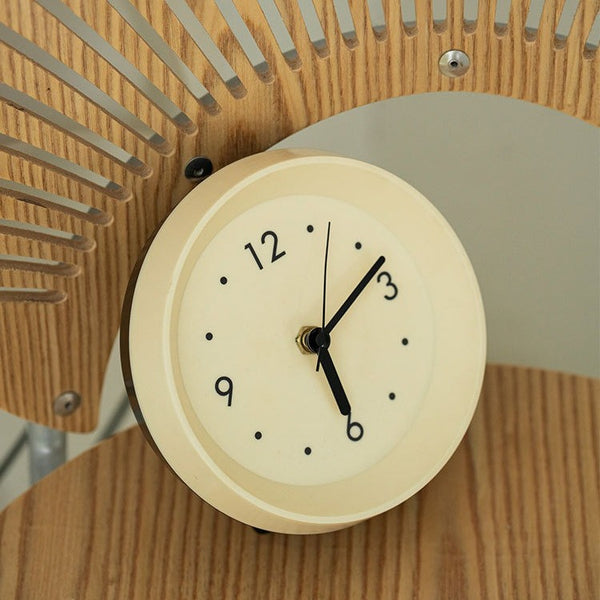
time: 5:07
